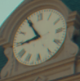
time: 8:54
